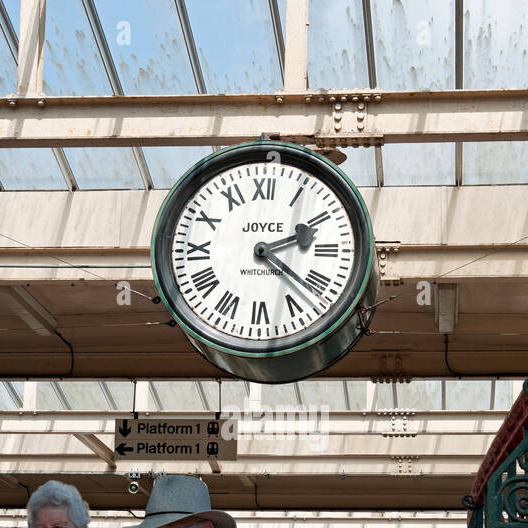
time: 2:21
